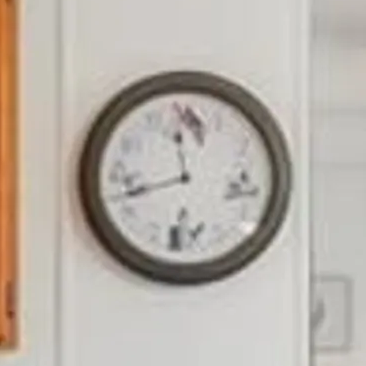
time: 11:42
